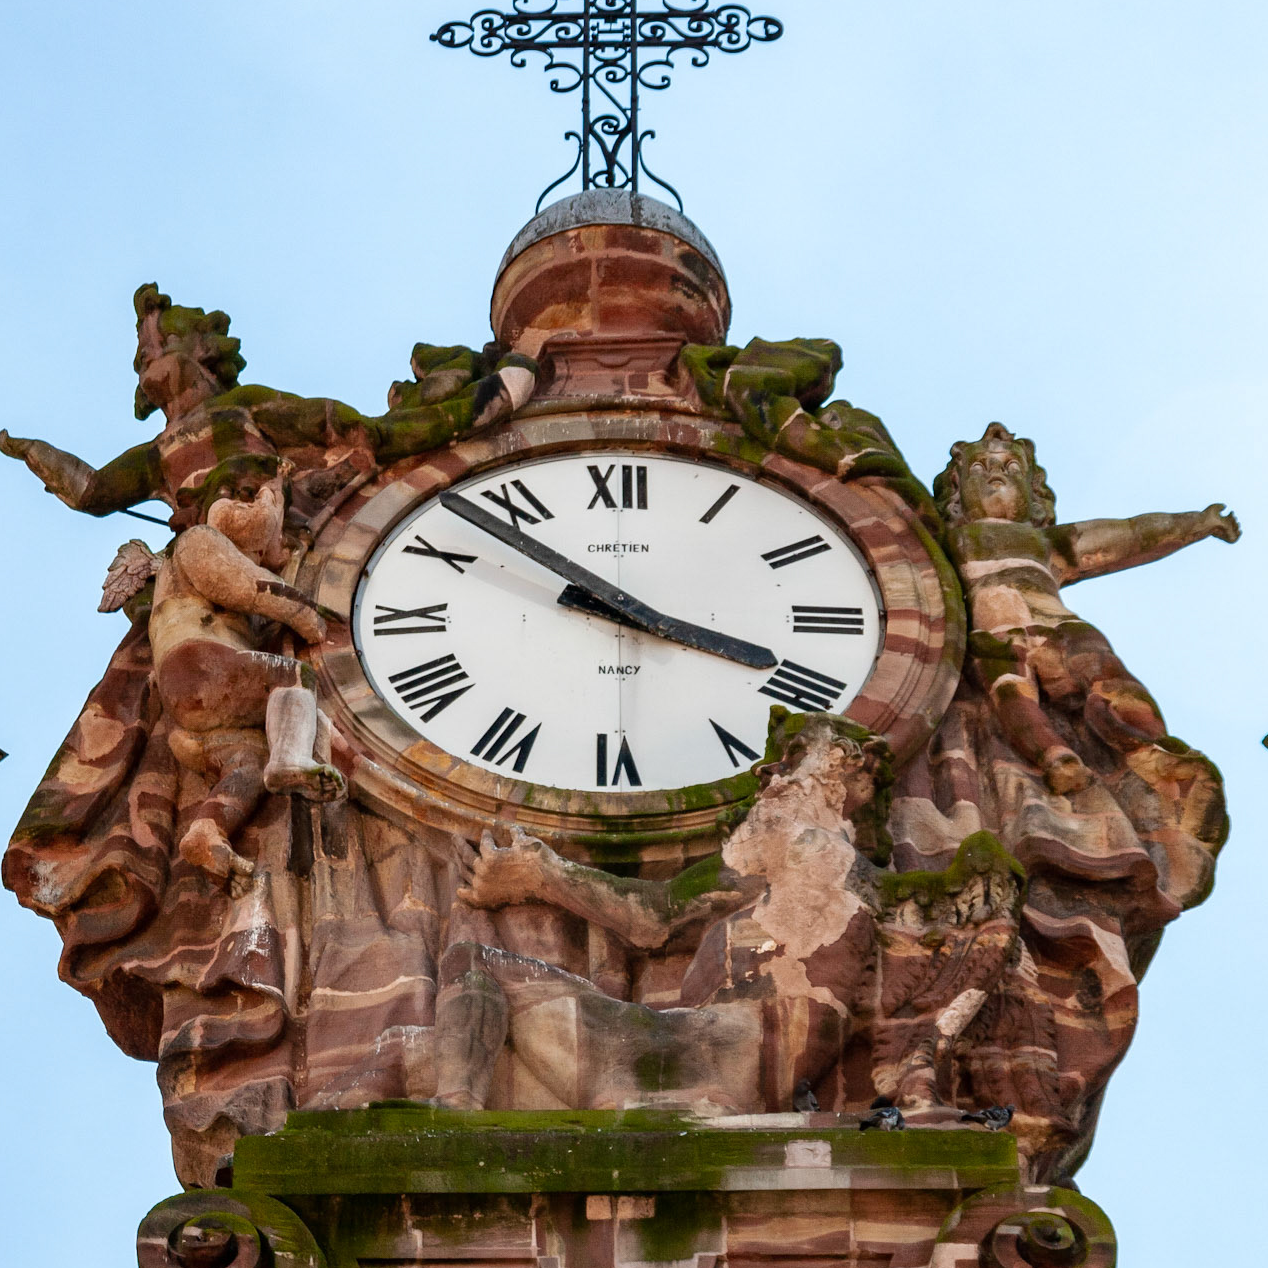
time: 3:52
